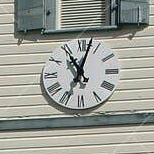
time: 11:02
